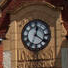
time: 12:20
